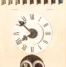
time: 7:52
